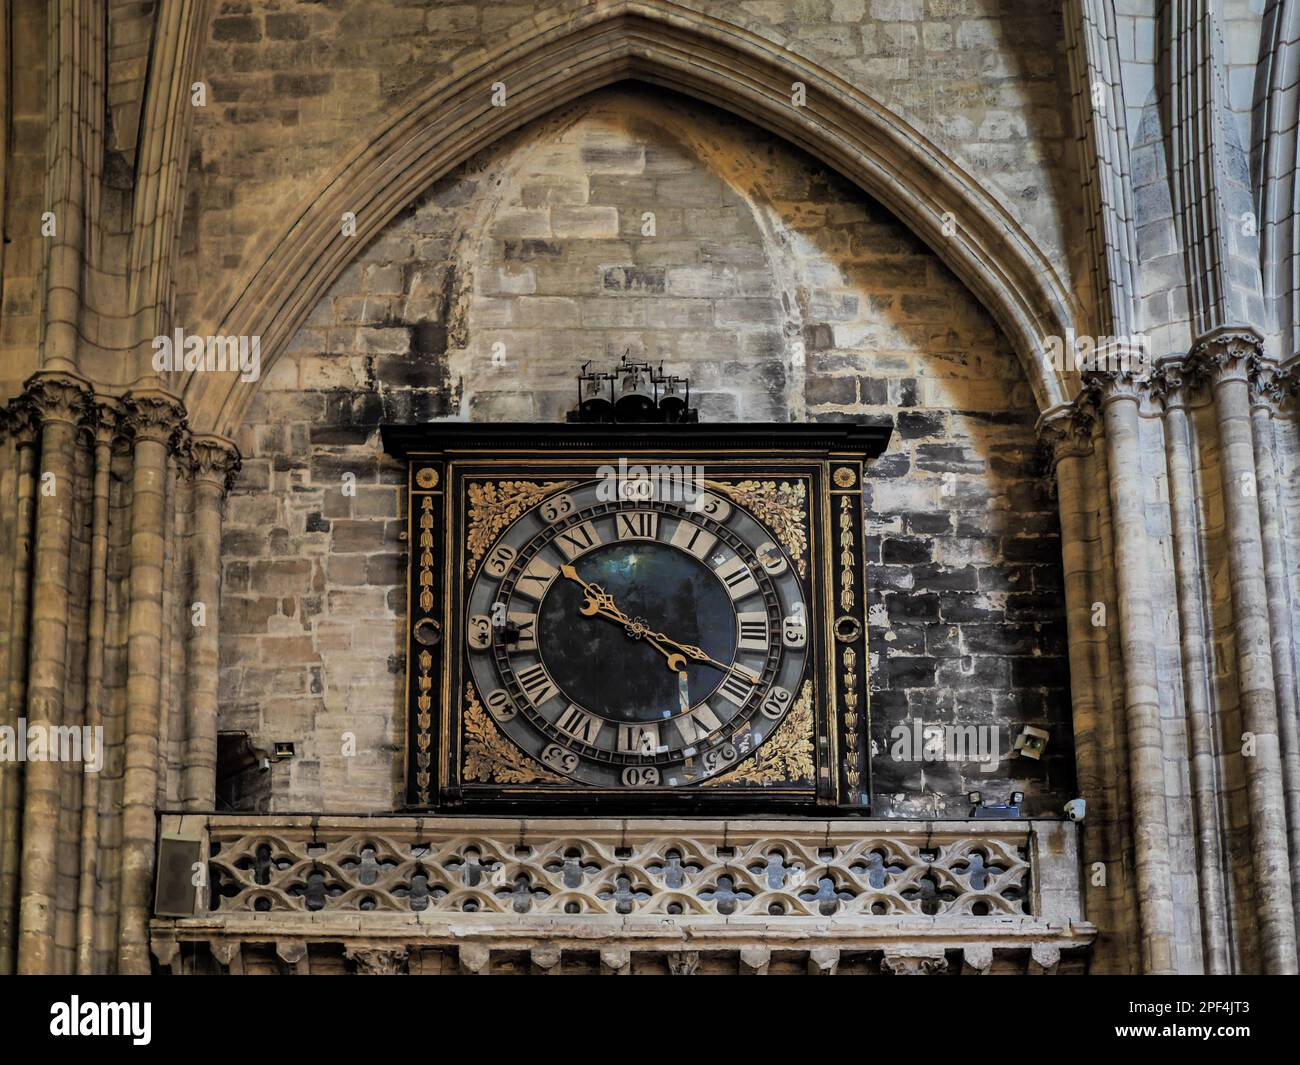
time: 3:52
